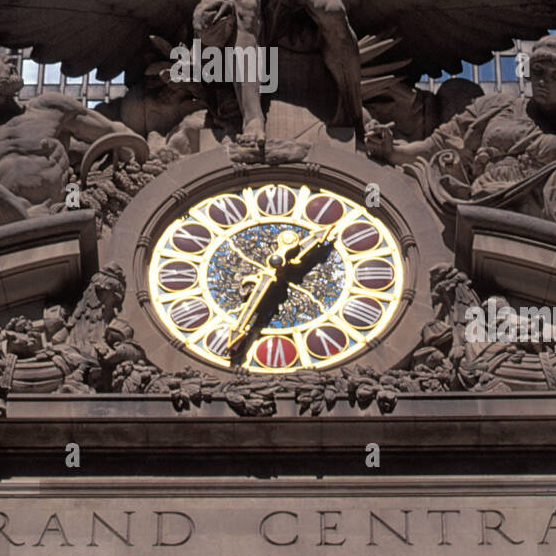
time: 1:34
